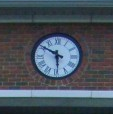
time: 5:50
